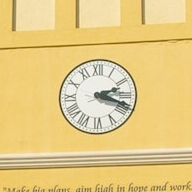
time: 2:18
